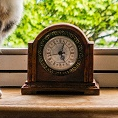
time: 5:03
